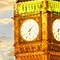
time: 6:07
